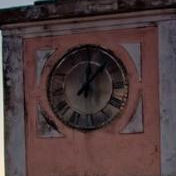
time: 12:07
